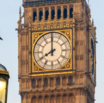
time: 7:59
